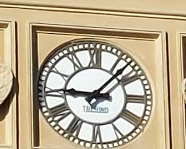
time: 9:07
